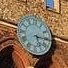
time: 5:15
